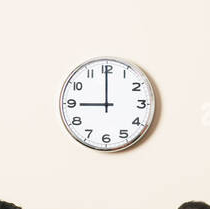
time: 8:59
